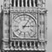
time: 3:05
